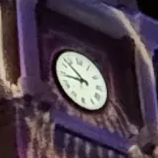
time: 8:52
